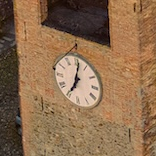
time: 7:01
